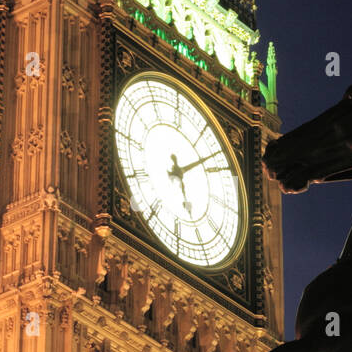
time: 5:08
